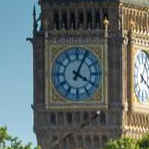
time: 4:04
